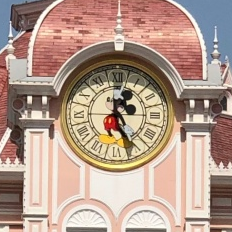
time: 12:26
